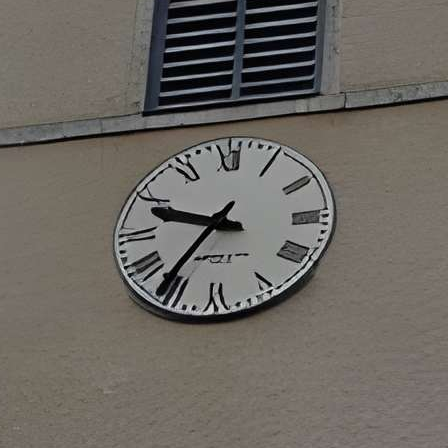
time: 9:36
